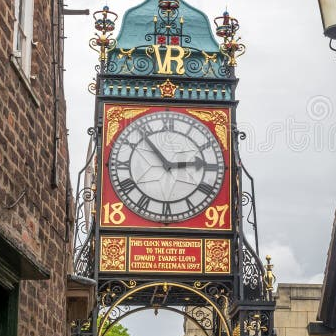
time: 2:53
